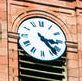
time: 3:22
